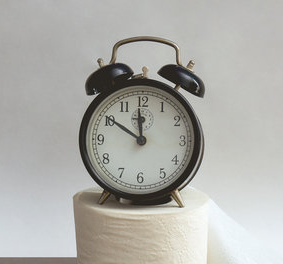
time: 11:50
